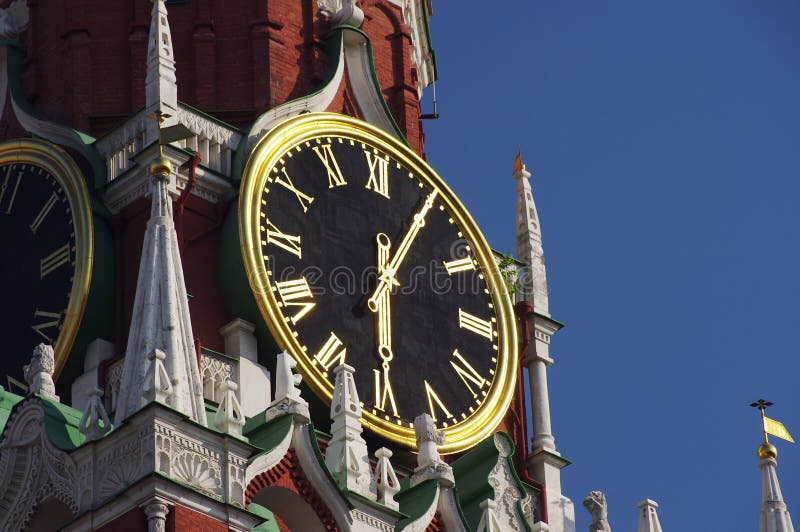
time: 6:05
